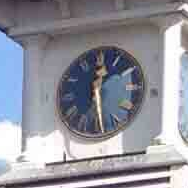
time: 12:28
